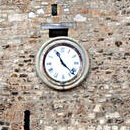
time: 11:22
